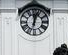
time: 12:02
